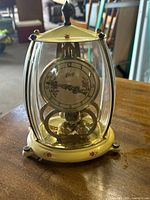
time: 3:46
